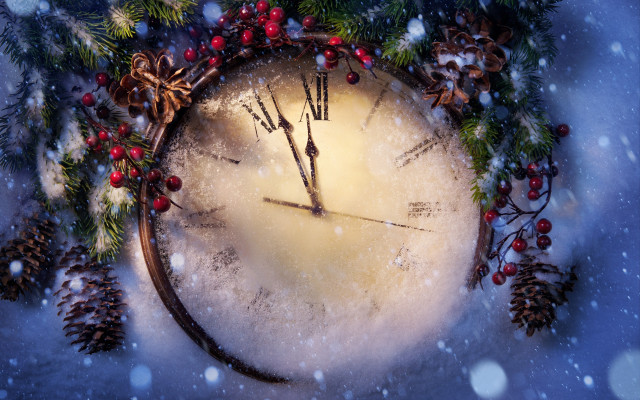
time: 11:56
